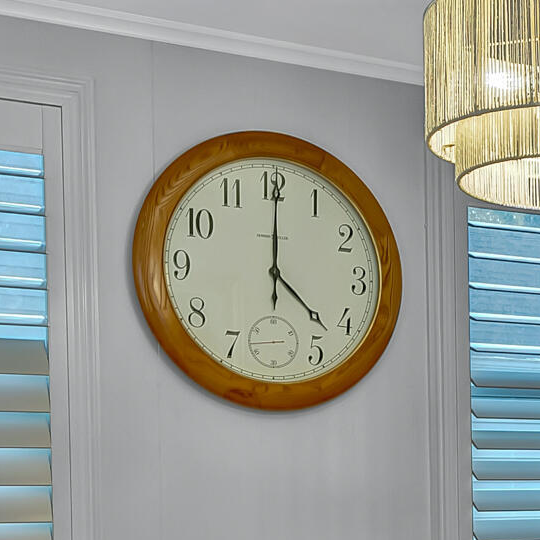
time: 4:00
